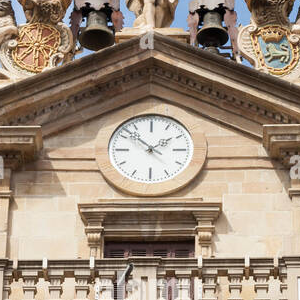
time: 1:52
